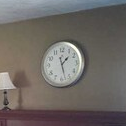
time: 1:27
